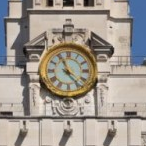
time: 11:23
